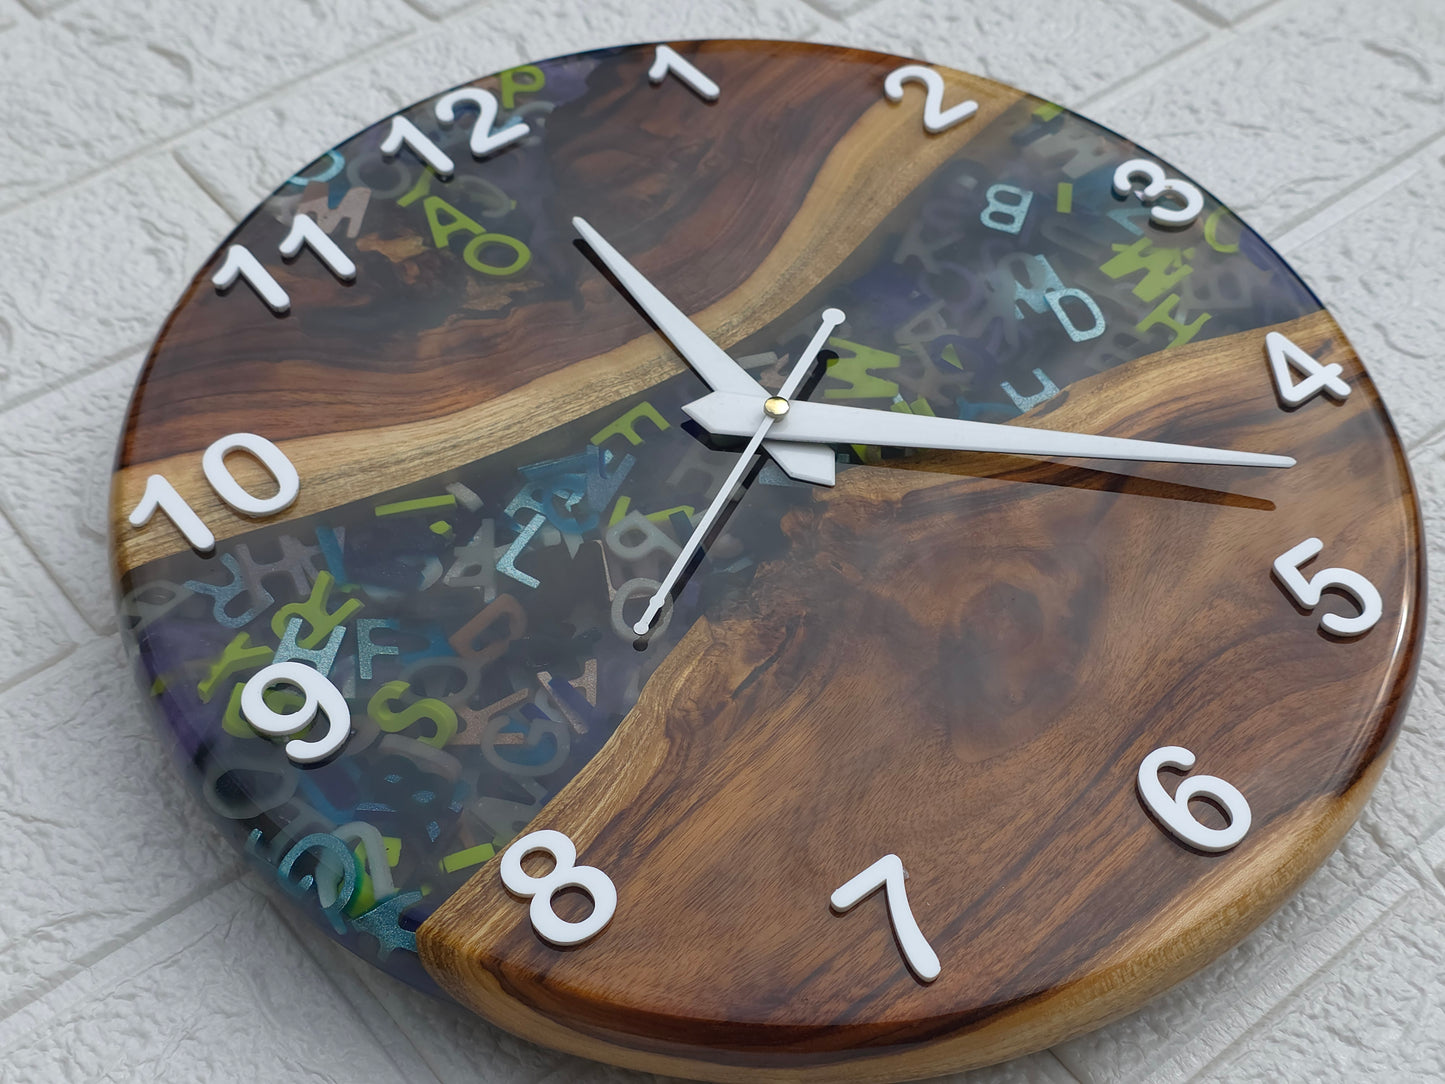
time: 11:17
